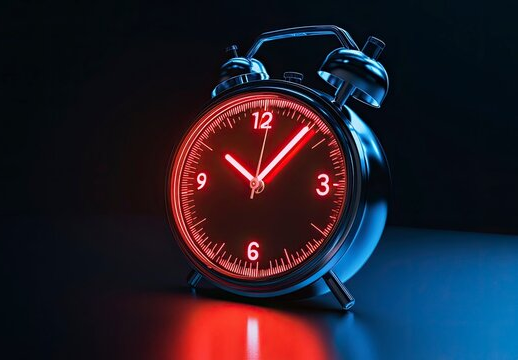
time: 10:07
